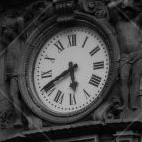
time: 5:40
